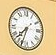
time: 7:33
